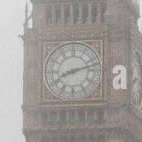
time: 8:12
